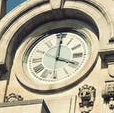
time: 4:00
